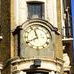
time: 11:40
